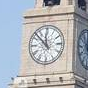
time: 11:52
